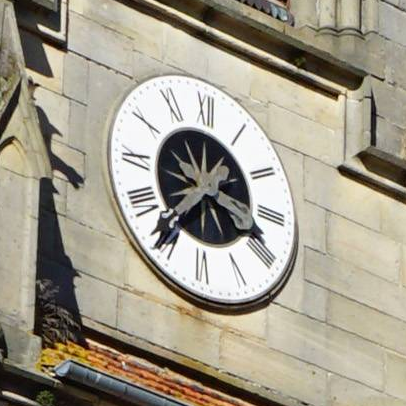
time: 3:36
